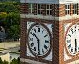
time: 10:30
